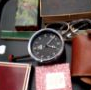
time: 1:18
